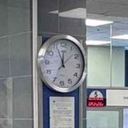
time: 11:55
